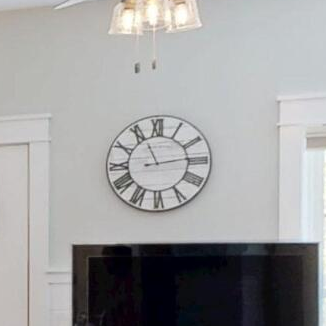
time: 11:13
